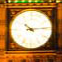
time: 10:13
